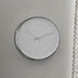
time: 10:11
